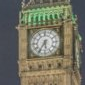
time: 5:35
